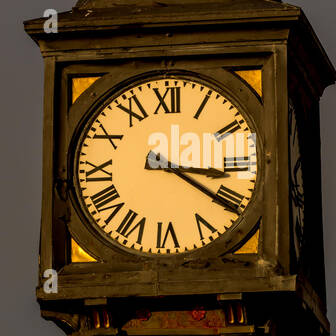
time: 3:20
